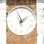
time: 1:56
